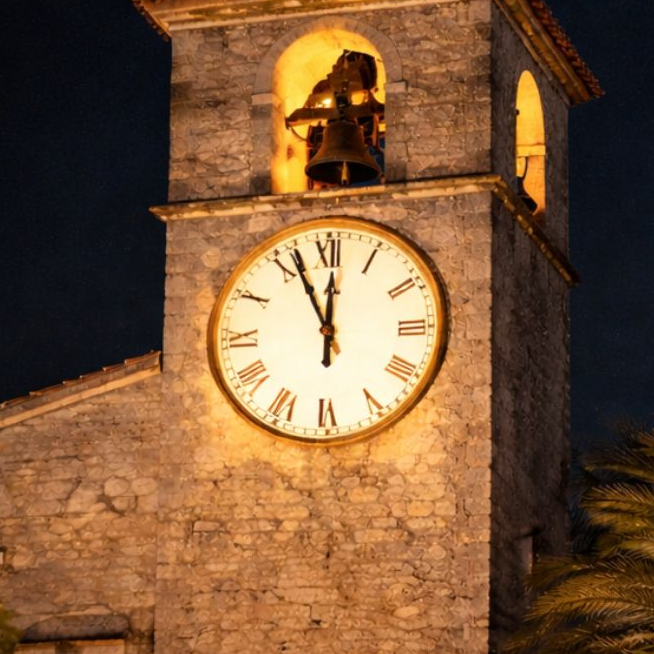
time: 11:56
